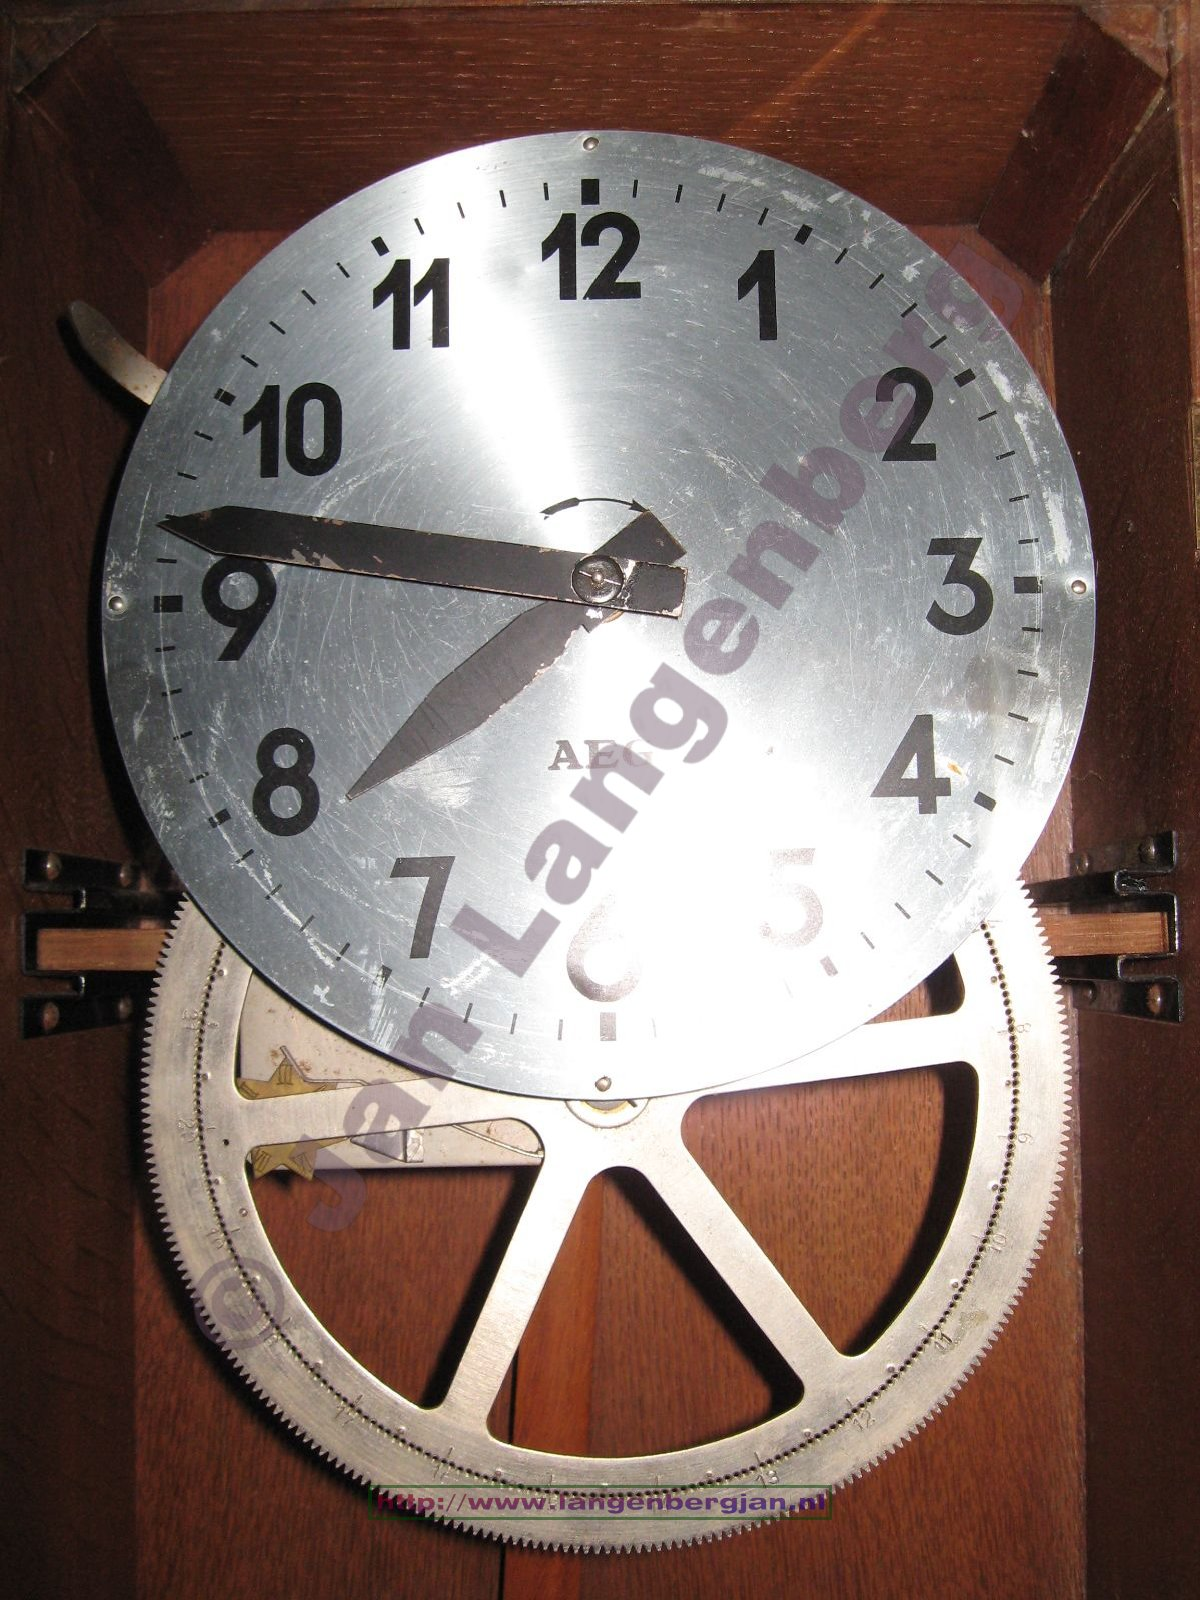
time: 7:46
